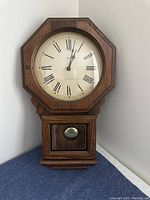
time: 1:02
